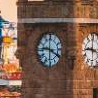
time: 9:20
